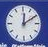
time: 12:09
